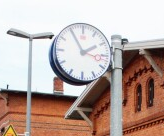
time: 1:55
